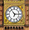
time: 2:54
